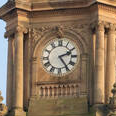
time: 2:24
